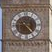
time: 1:23
